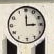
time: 3:00
